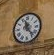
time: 11:23
